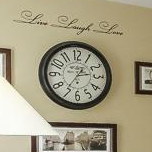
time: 2:35
